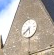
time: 5:38
